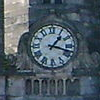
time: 1:18
